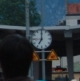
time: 7:00
